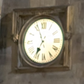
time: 6:56
